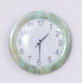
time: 1:29
